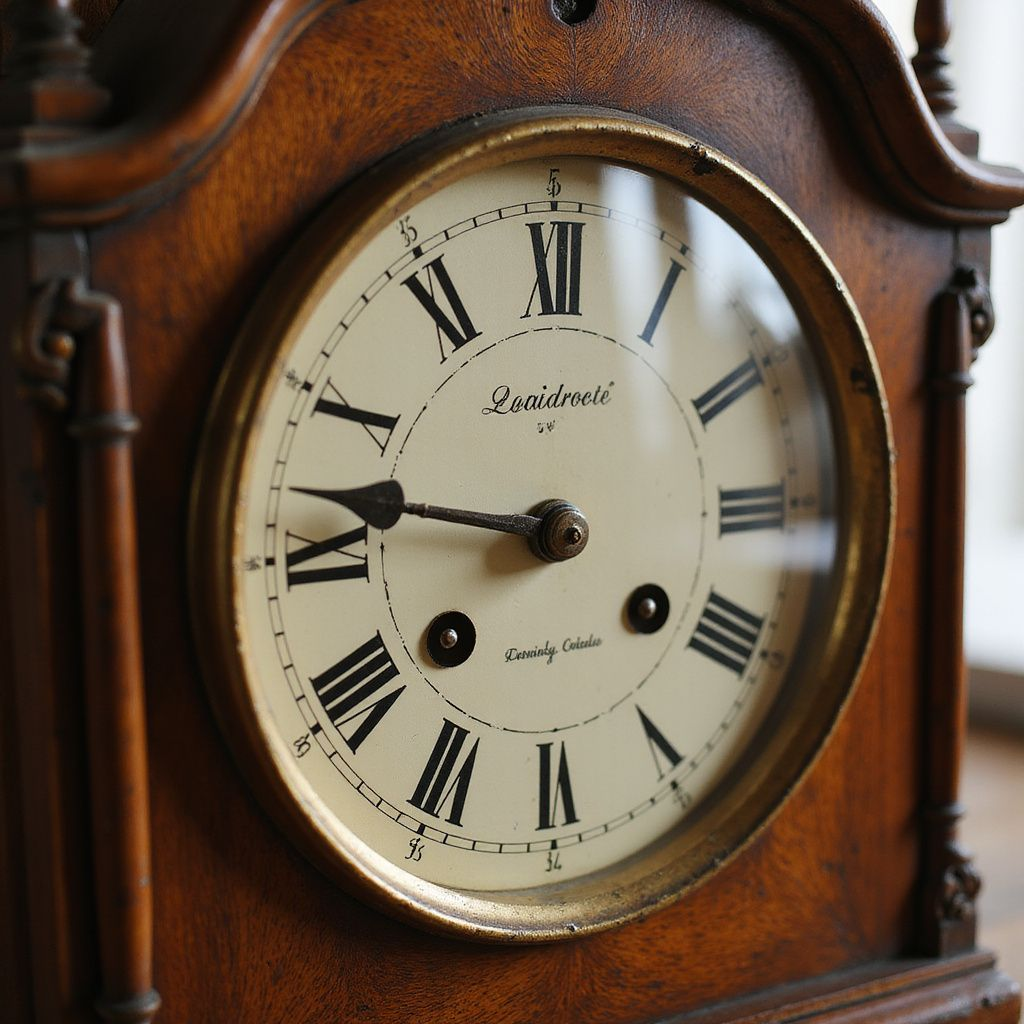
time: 8:46
